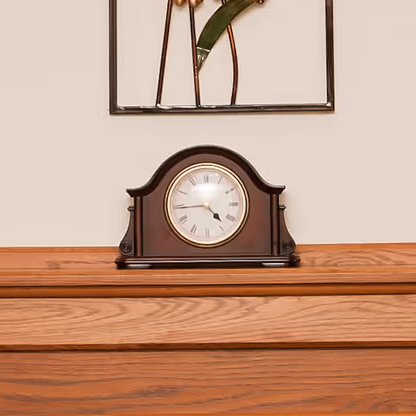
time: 4:44
